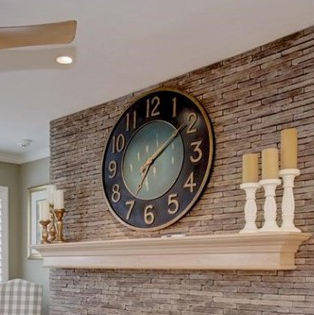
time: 7:09
